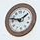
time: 1:47
